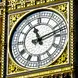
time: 11:12
